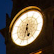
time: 5:33
